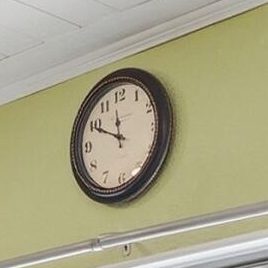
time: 11:49
